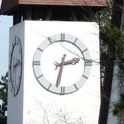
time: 2:32
